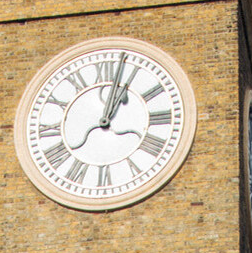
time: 1:02
